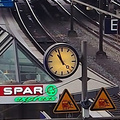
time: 10:57
